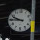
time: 9:45
